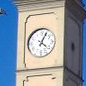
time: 4:04
